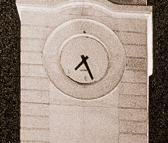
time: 7:25
